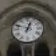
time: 12:48
